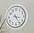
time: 3:24
